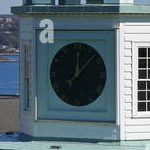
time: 12:07
